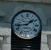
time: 1:43
